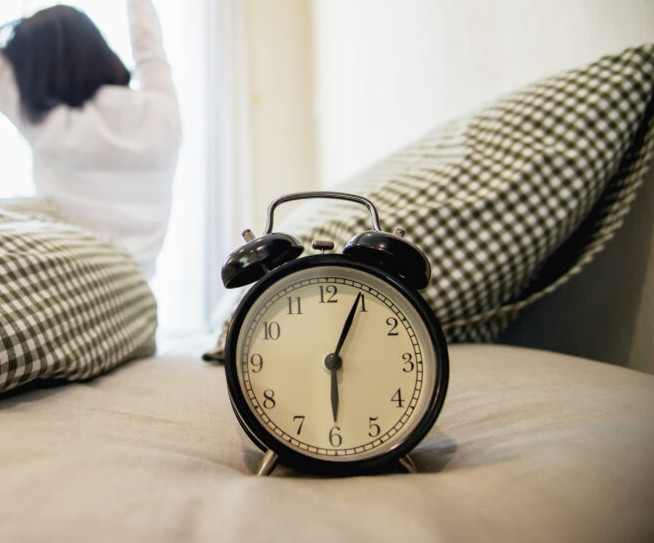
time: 6:04
